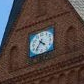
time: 4:36
